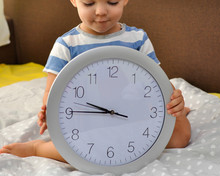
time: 9:45
